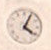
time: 4:04
